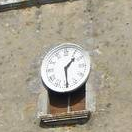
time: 1:29
